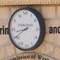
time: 8:40
